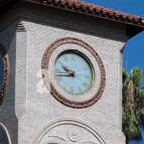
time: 9:43
